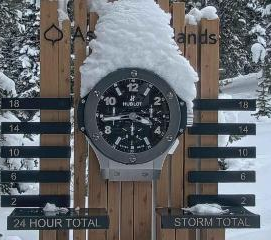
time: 3:43
